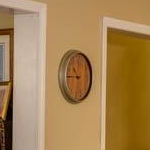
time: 10:45
